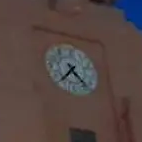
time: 7:23
